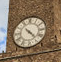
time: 4:22
